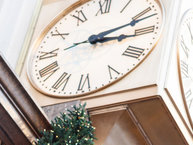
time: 3:12
